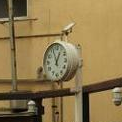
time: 12:57
